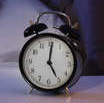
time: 5:01
